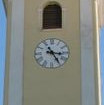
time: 3:24
